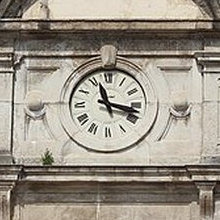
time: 11:17
